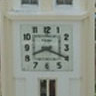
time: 8:19
